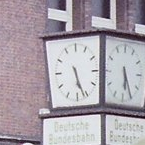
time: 5:26
